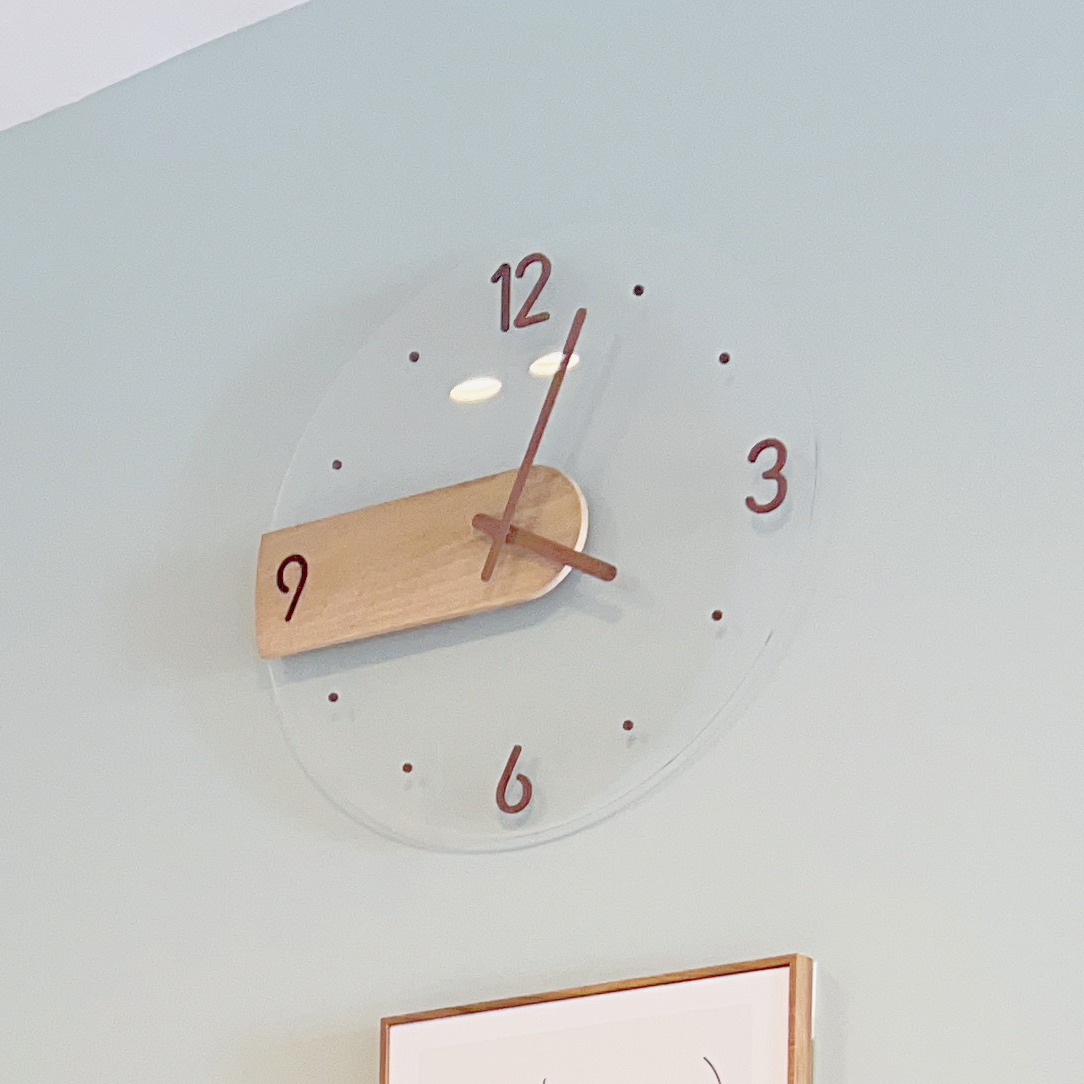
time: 4:03
